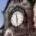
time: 11:28
